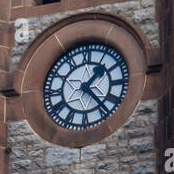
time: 1:23
